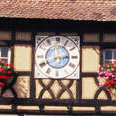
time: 2:40
